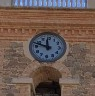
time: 11:48
